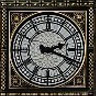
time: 2:18
